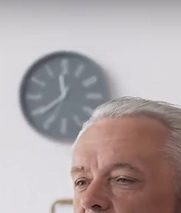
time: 11:37
